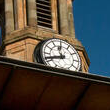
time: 11:41
